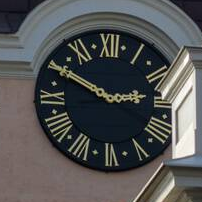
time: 2:49
